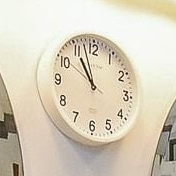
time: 10:56
